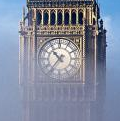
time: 10:36
